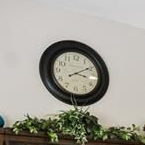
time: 3:09
